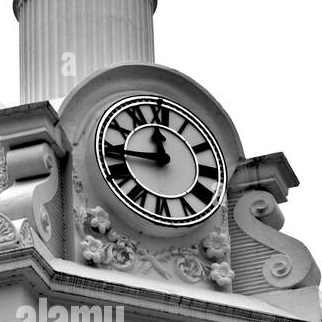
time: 11:44
